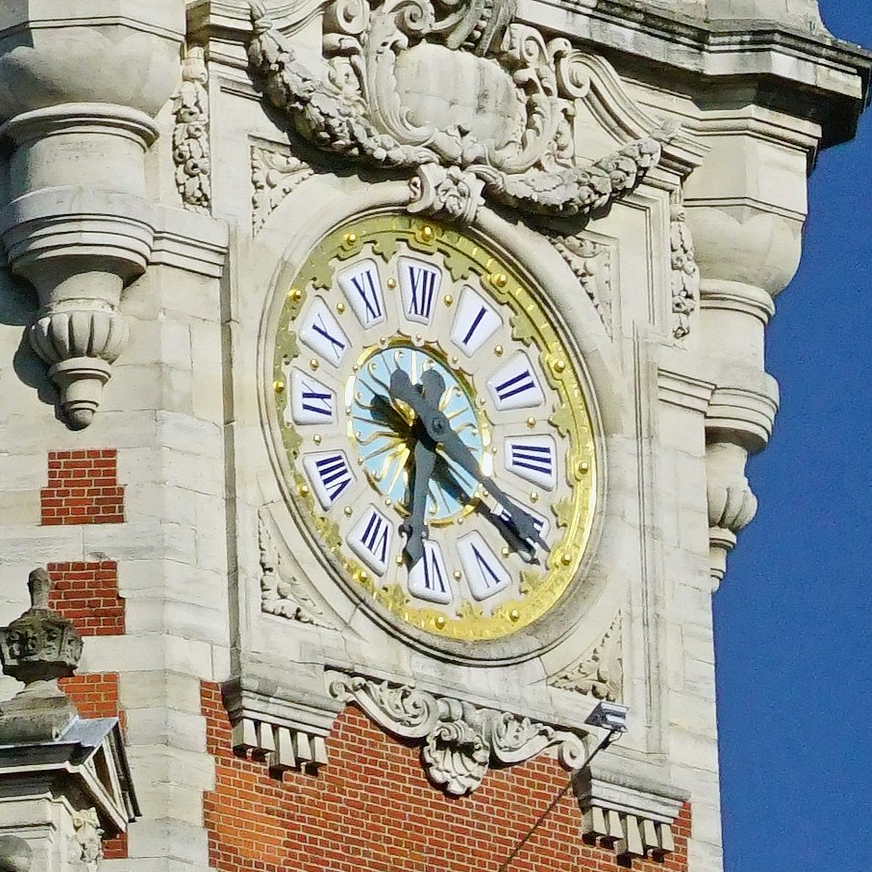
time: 6:20
